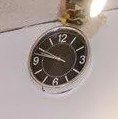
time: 9:47
